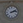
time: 2:12
